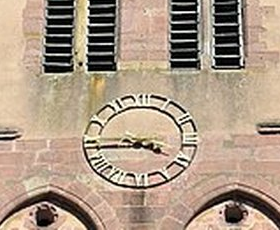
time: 3:44
